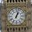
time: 1:02
